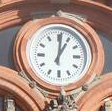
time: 1:01
